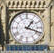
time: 1:18
